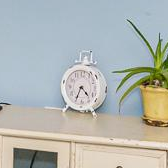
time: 4:34
